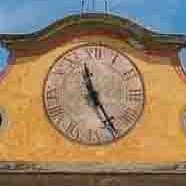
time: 11:24
